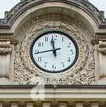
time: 11:43
